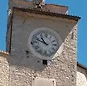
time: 10:48
